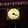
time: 4:18
